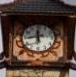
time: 11:44
